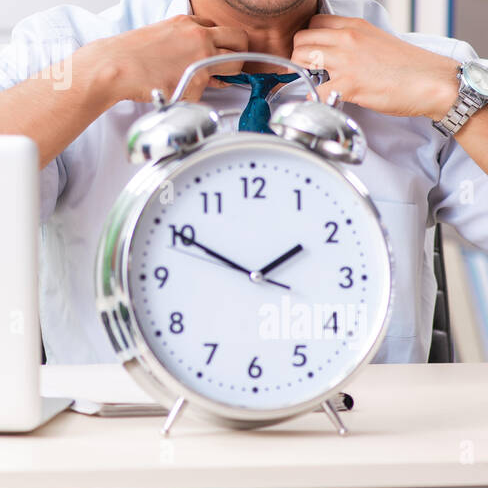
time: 1:50
